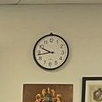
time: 9:43
